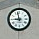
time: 8:57
